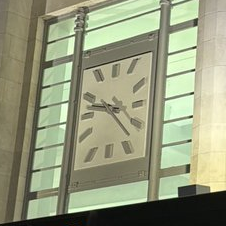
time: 9:22
